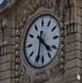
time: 4:33
